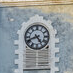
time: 4:41
